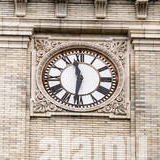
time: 11:31
